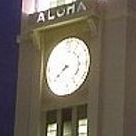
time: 7:39
